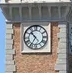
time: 10:35
